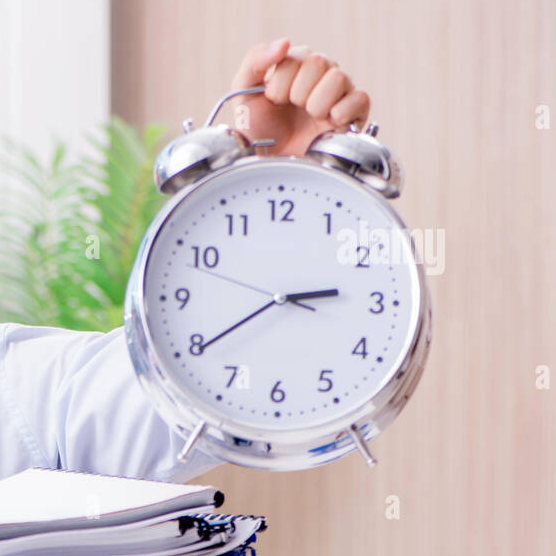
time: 2:39
